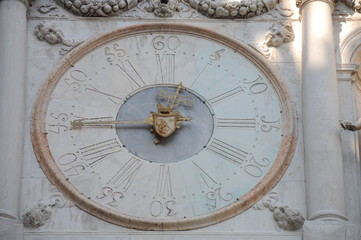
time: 11:44
